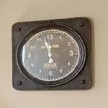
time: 11:57
